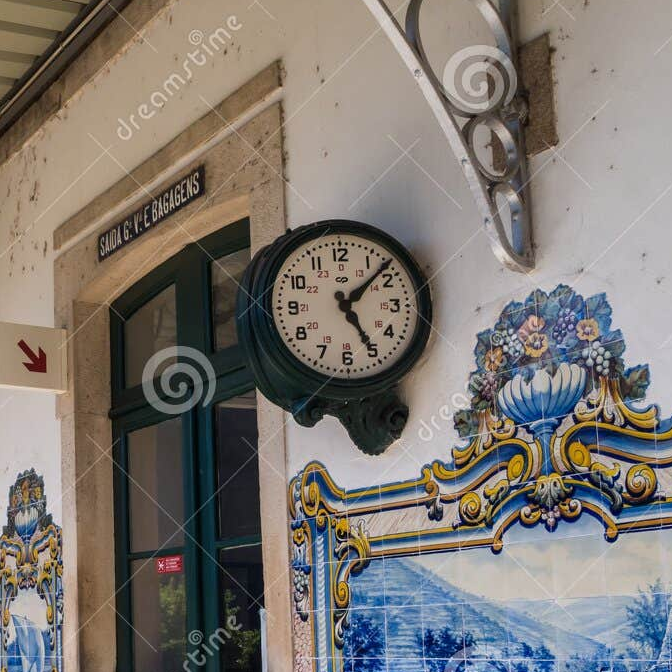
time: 5:07
